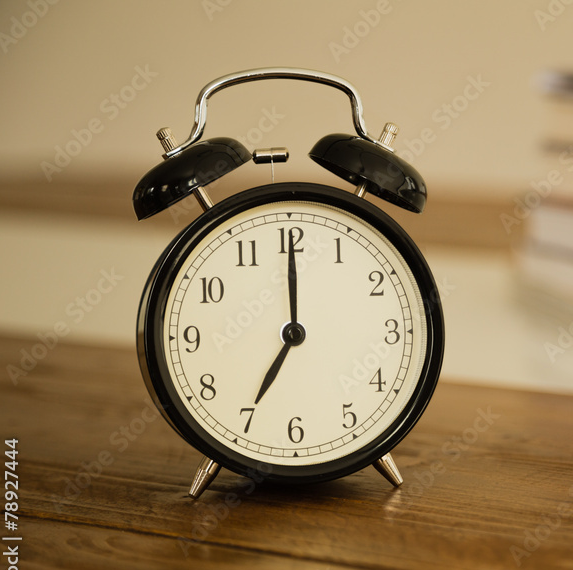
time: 7:00
